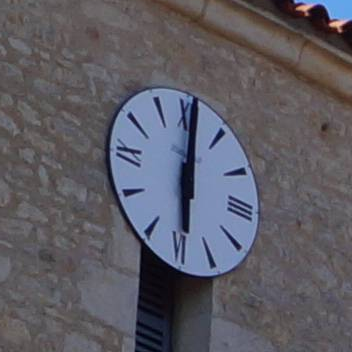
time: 6:00
